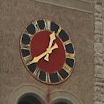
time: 12:39
